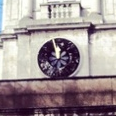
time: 11:57
